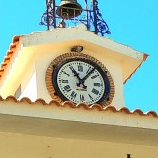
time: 11:06
